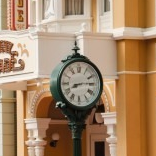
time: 8:14
